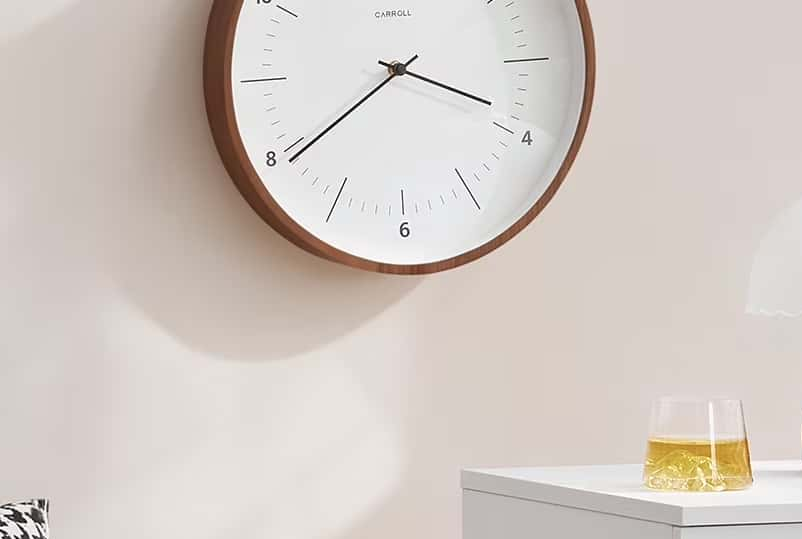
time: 3:39
